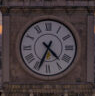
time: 4:34
